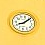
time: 8:07
